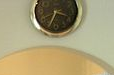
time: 3:34
